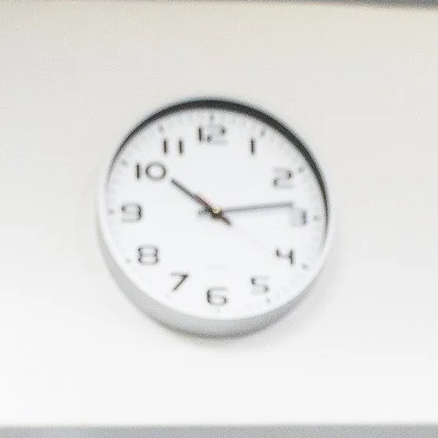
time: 10:13
